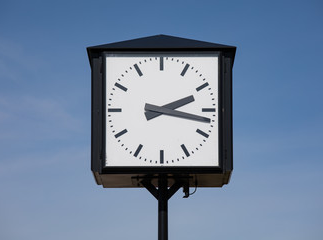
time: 2:17
